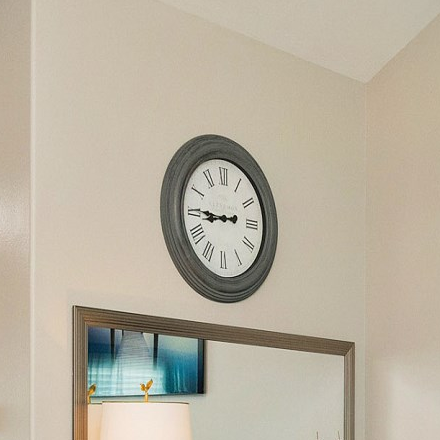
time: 8:45
